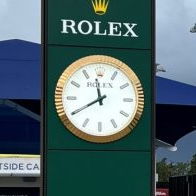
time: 11:40
